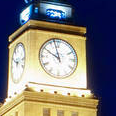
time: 9:57
